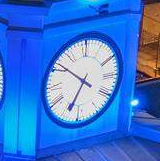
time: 6:51
